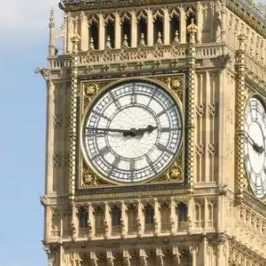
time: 2:46
